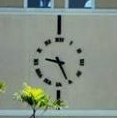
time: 9:25
